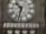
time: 10:32
